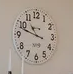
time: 10:48
